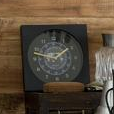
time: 1:47
